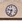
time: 9:33
